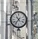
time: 10:36
